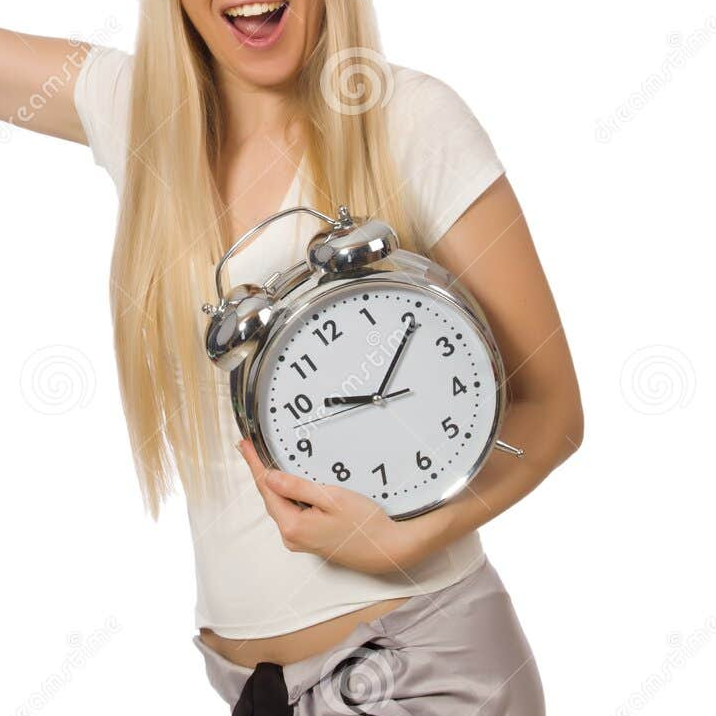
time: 9:05
